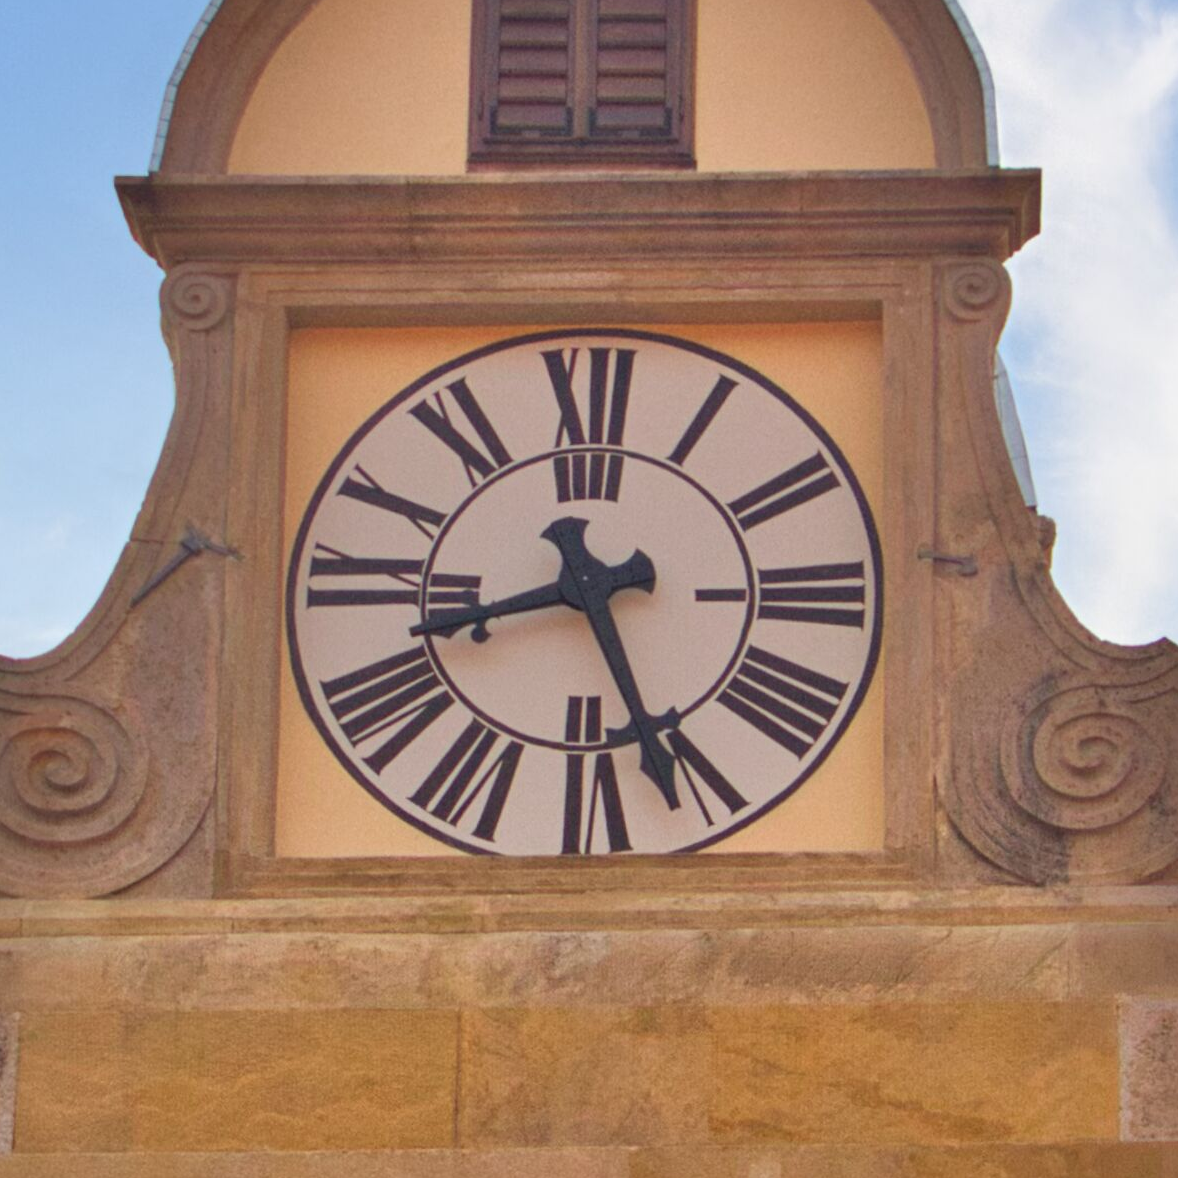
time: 8:26
